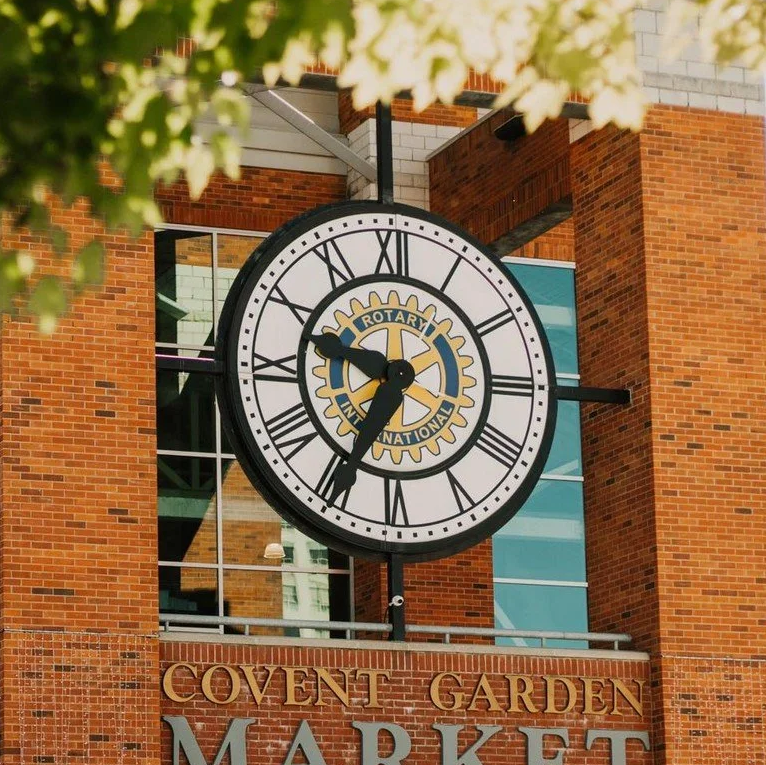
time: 9:34
